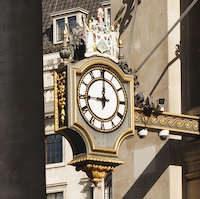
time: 9:00
